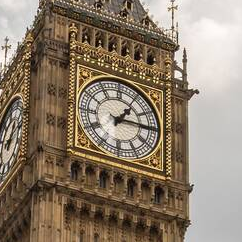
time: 1:14
